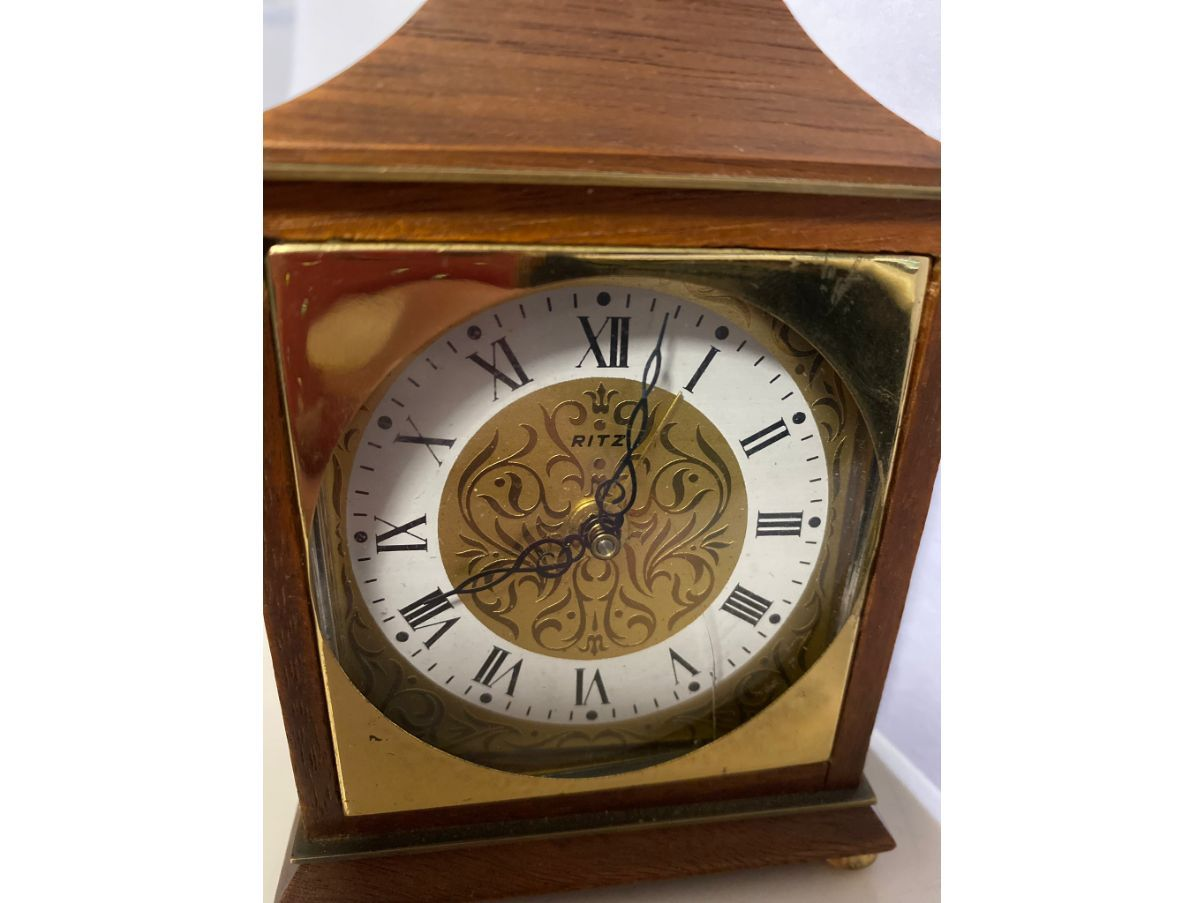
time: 8:02
